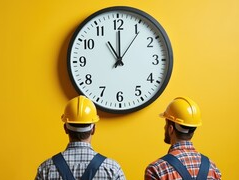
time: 11:00
